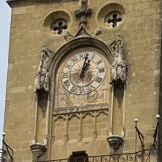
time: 1:02
